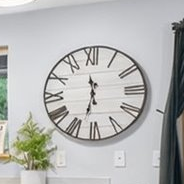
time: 11:32
